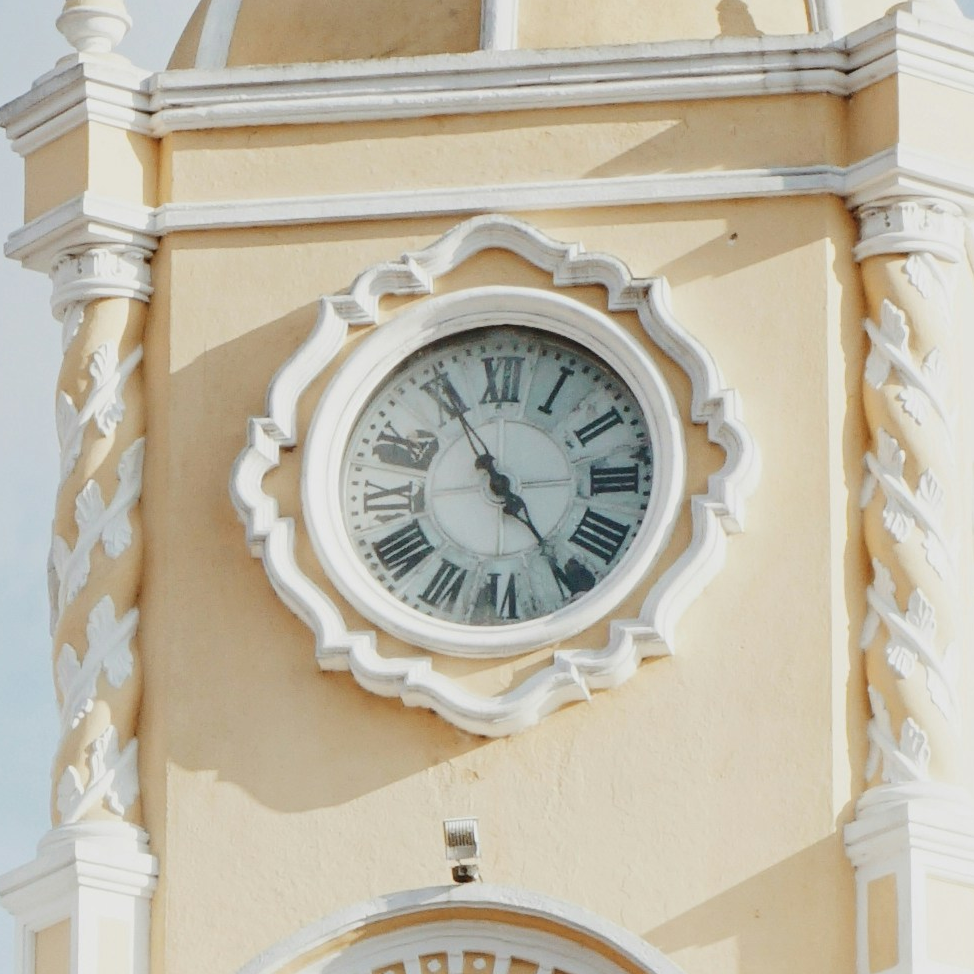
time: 4:55
